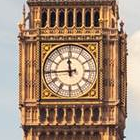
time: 11:44
